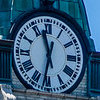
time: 11:32
